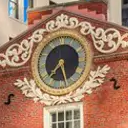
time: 7:27
